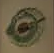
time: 8:11
